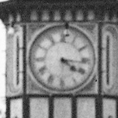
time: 4:16
